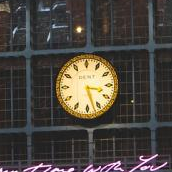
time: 3:27
